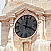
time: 12:19
